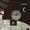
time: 1:46
